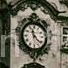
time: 11:21
